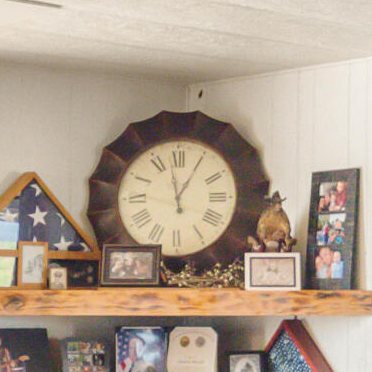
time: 12:58
